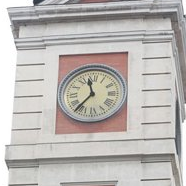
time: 11:36
